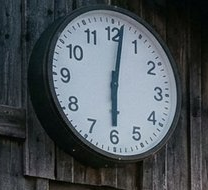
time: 6:01
